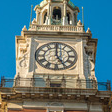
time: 4:59
